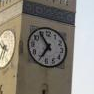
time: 6:54
